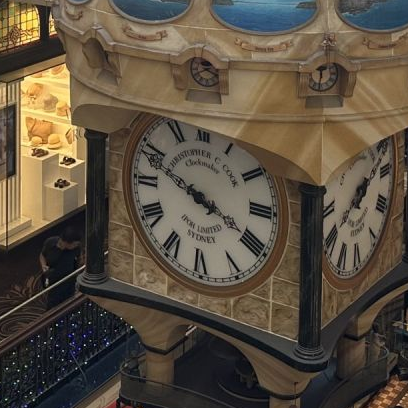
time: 3:48
